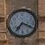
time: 7:19
